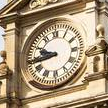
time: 9:43
